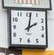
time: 2:01
